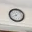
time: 8:07
